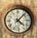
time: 4:07
